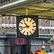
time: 10:42
